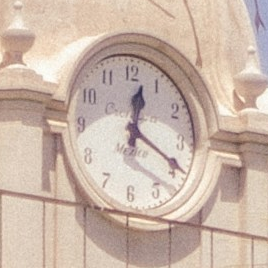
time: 12:19
